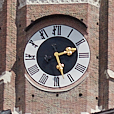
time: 2:27
